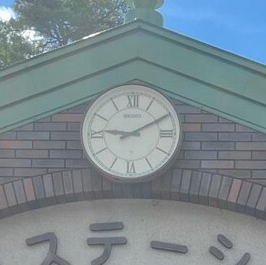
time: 9:10
